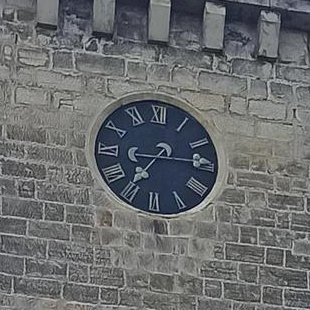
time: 7:14
